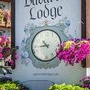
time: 10:44
